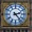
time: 2:23
